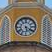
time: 5:20
